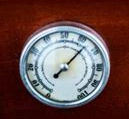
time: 7:07
